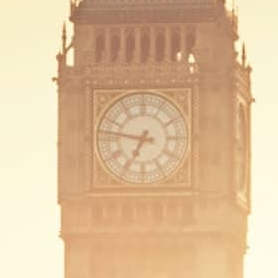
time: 6:47
